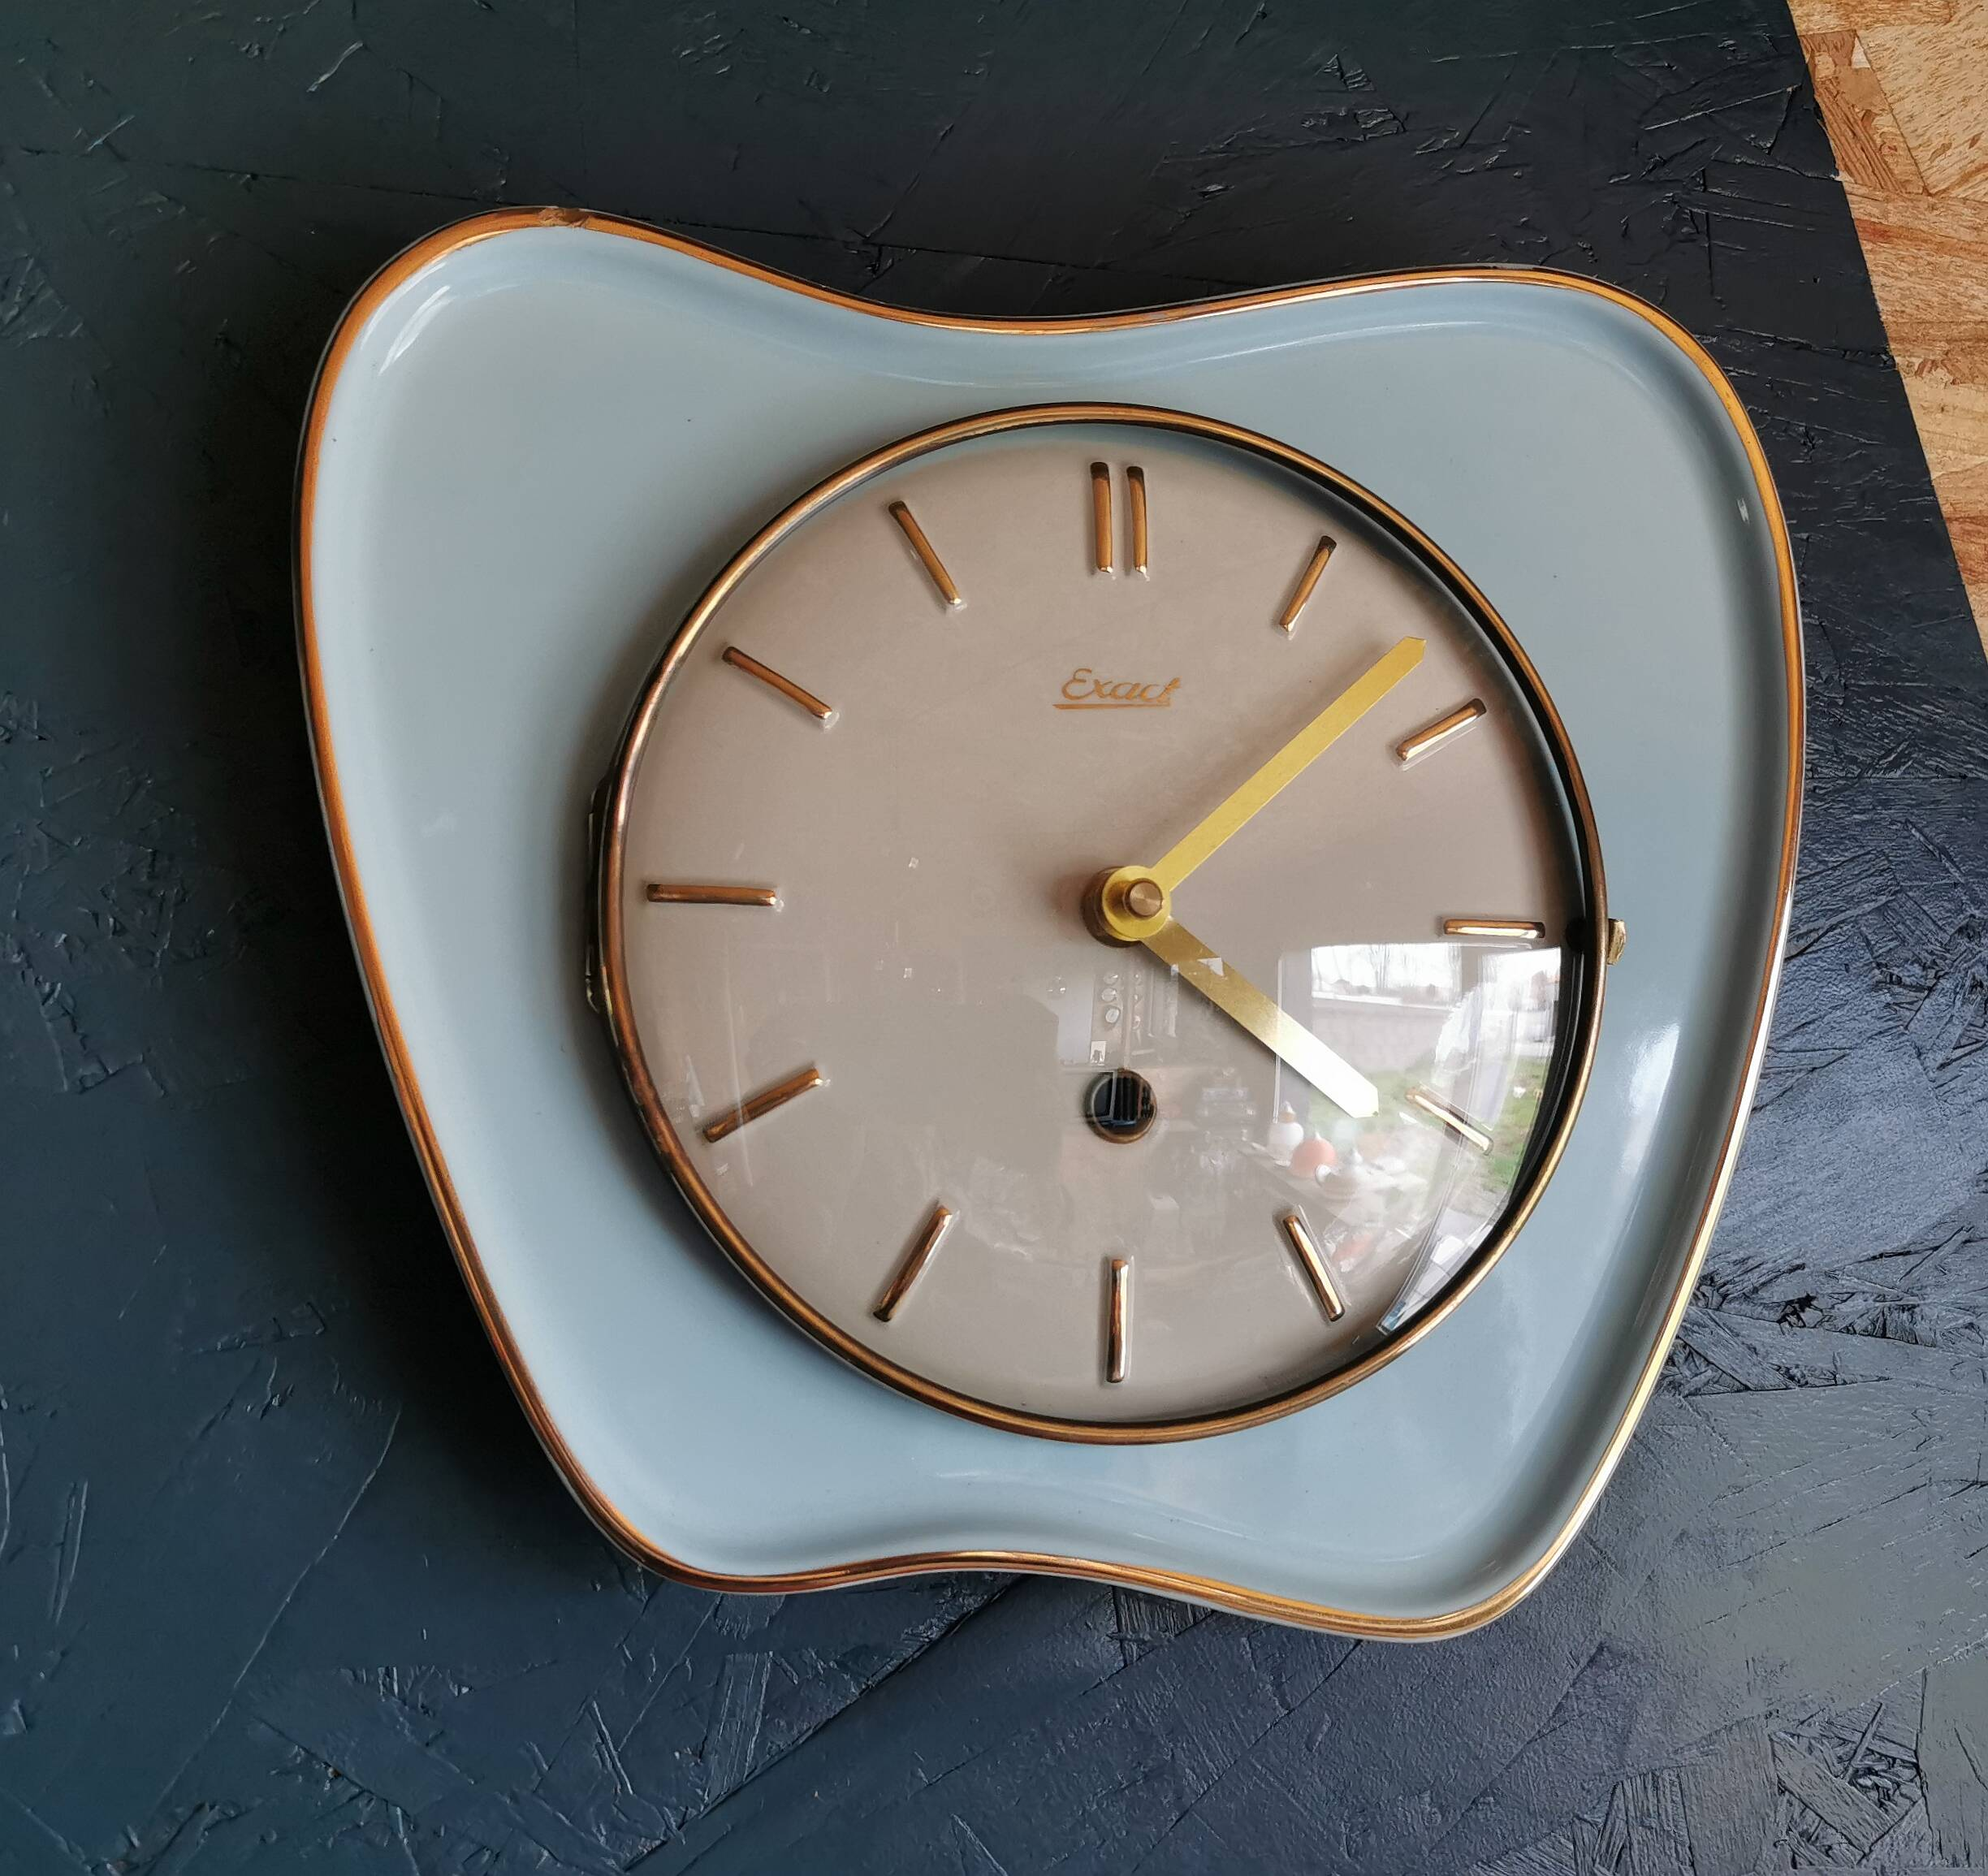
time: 4:08
